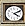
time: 4:10
